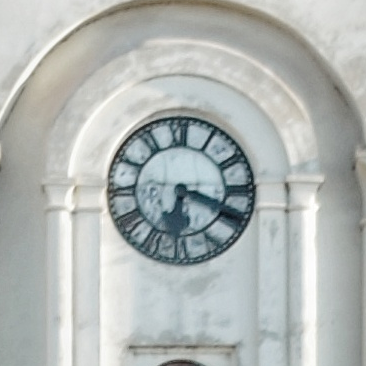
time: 6:18
